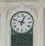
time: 12:48
